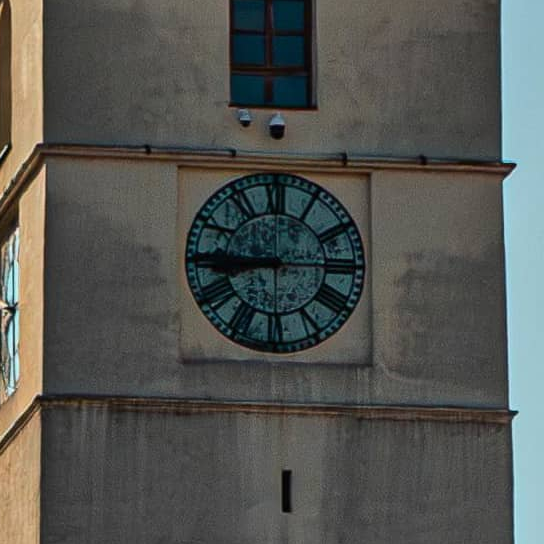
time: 9:14
